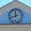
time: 11:41
